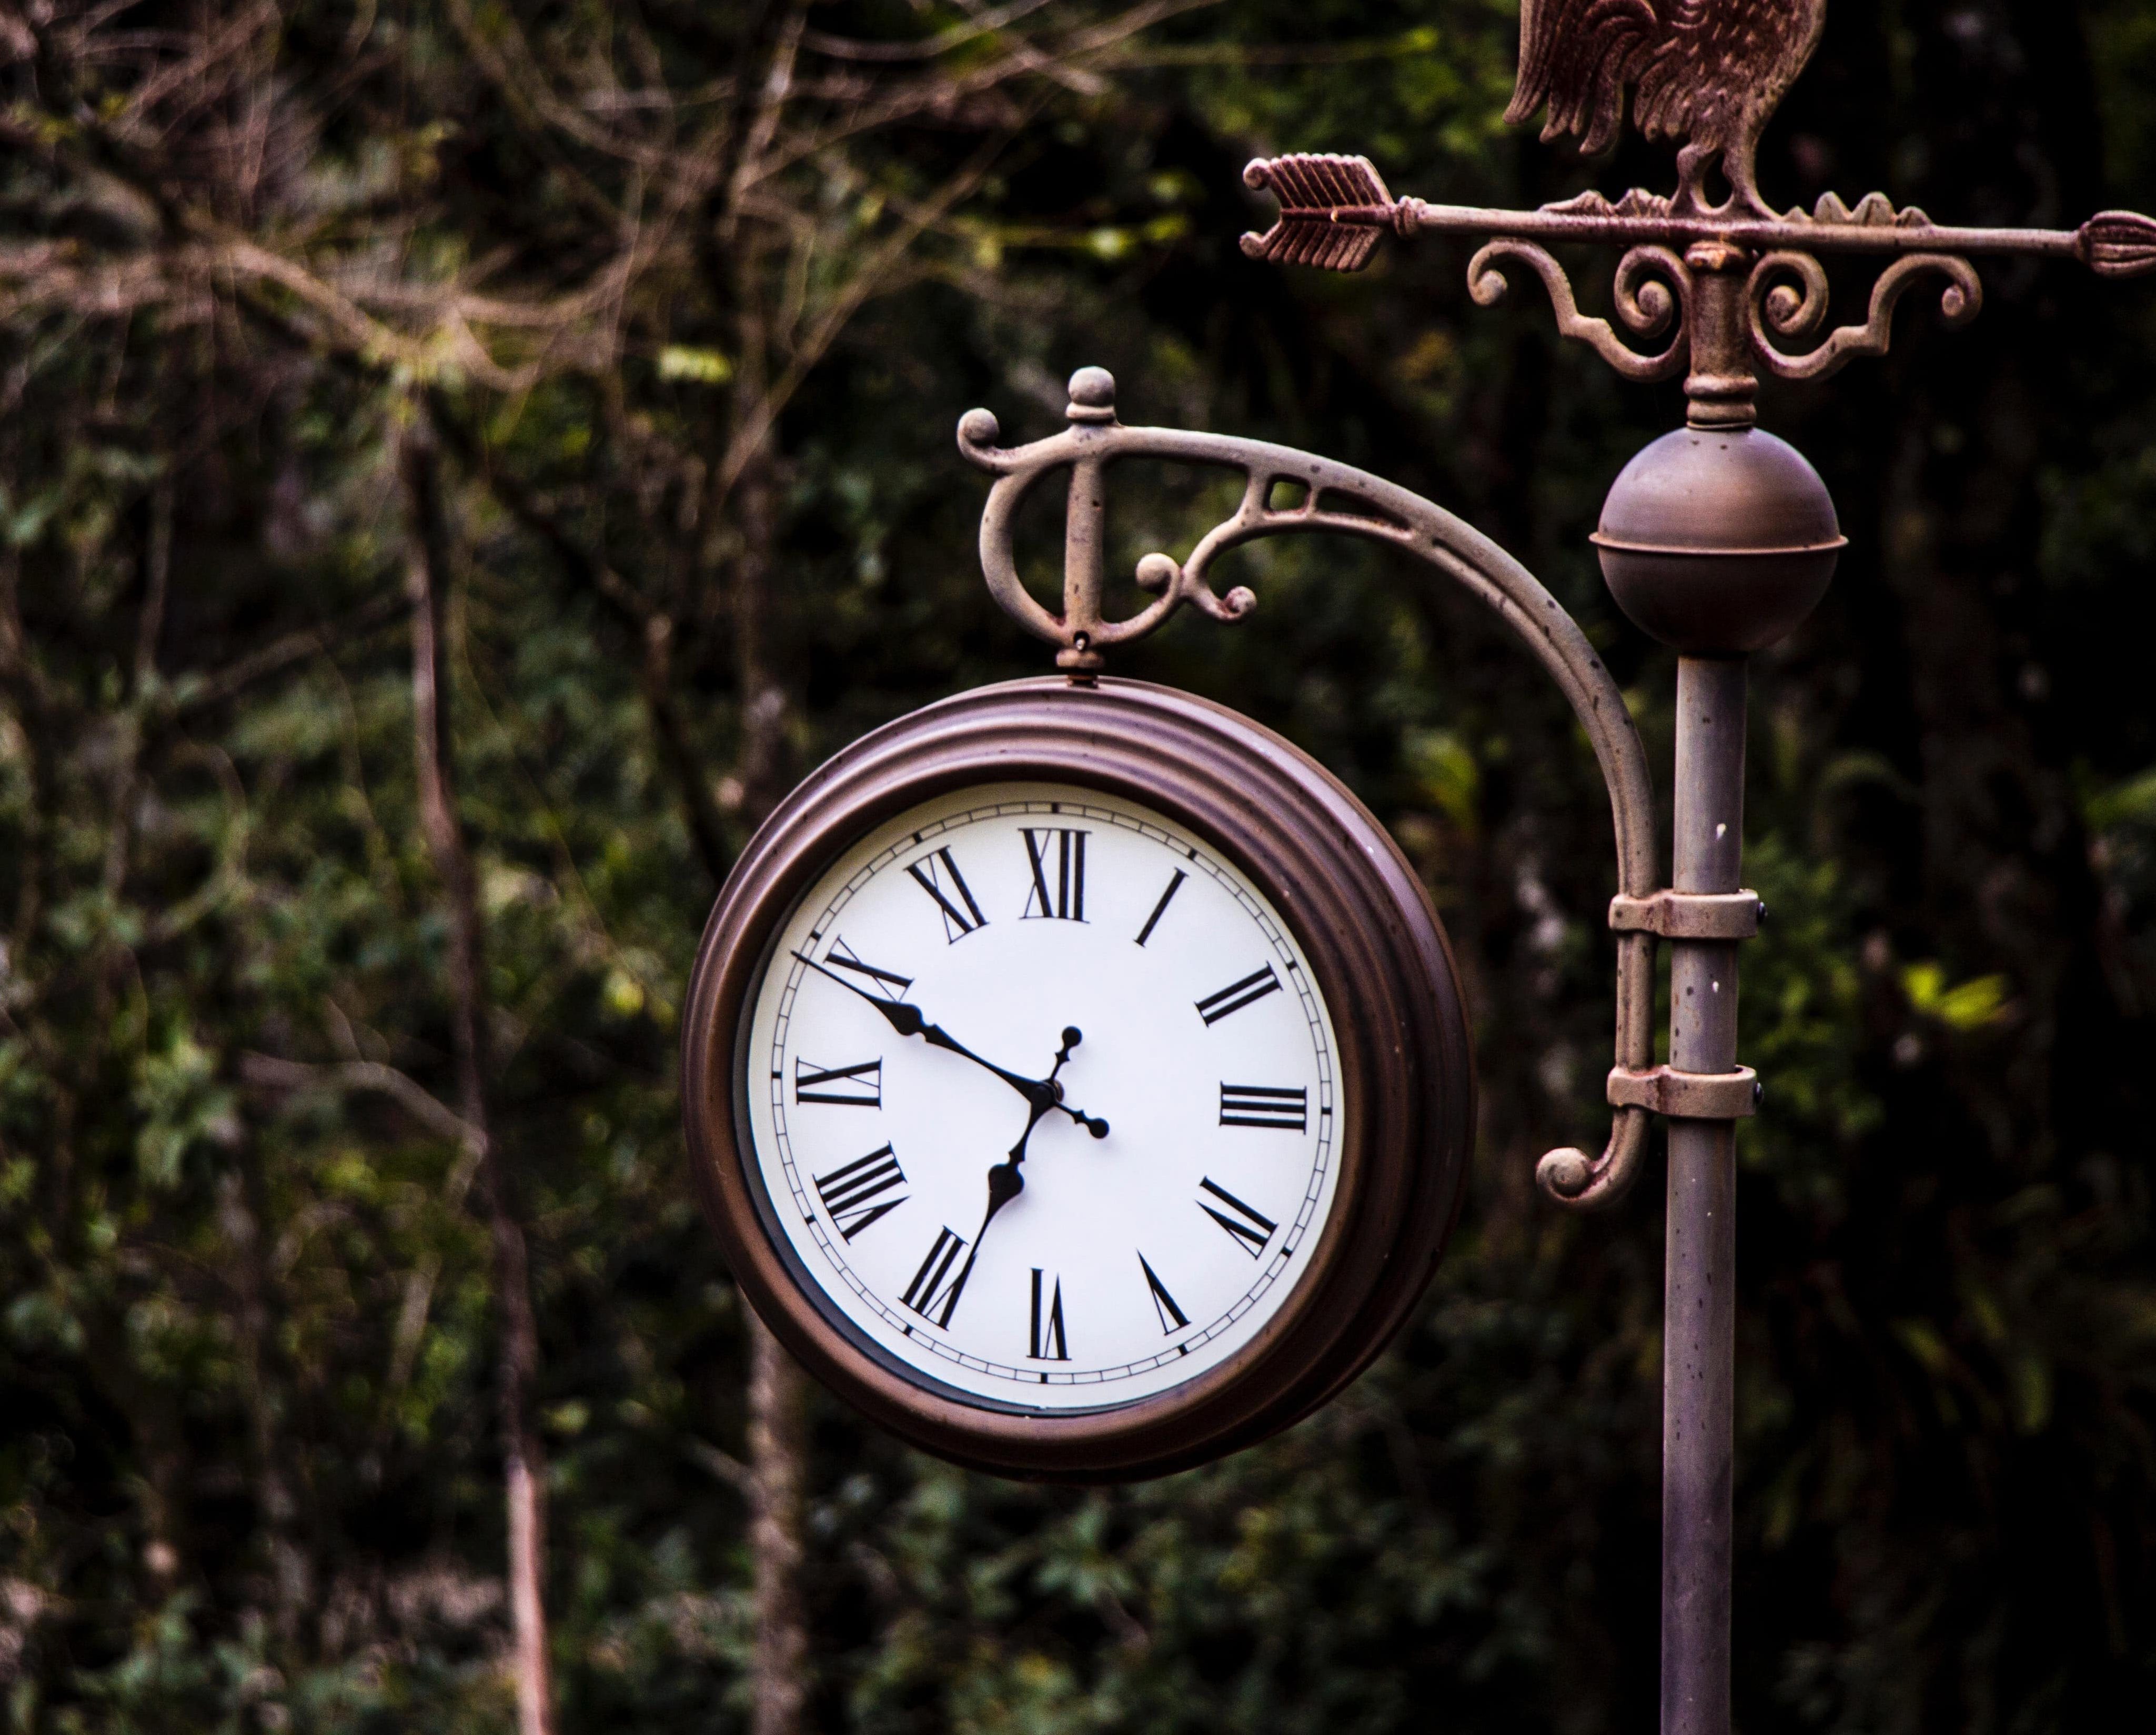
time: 6:49
